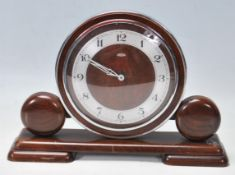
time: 9:50
